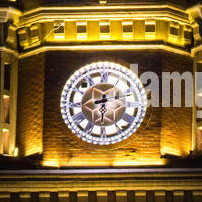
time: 8:30
